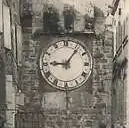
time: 9:06
